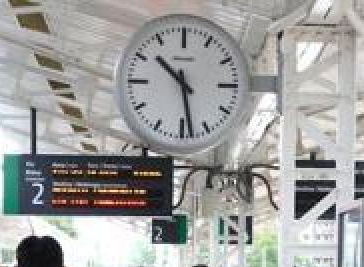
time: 10:28
